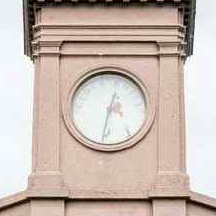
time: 12:32
